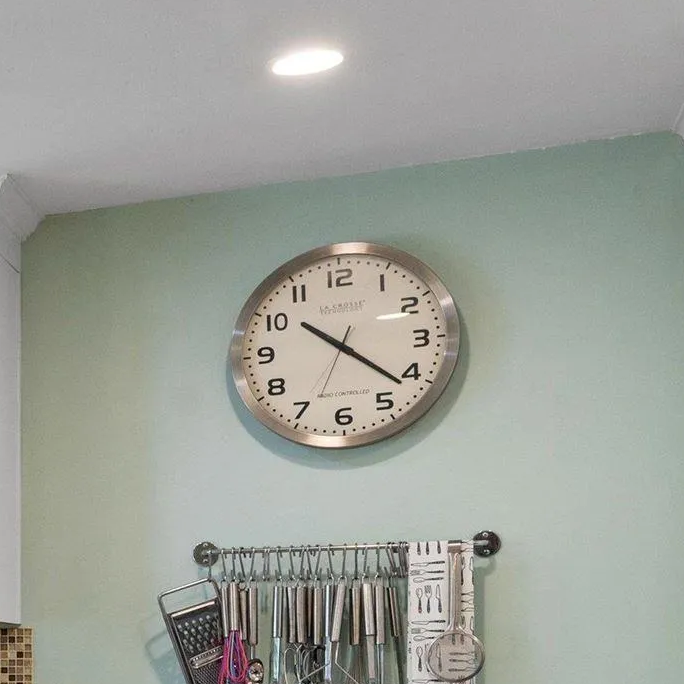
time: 10:21
